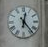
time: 12:23
